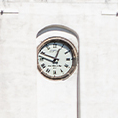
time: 12:48
